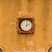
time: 2:01
